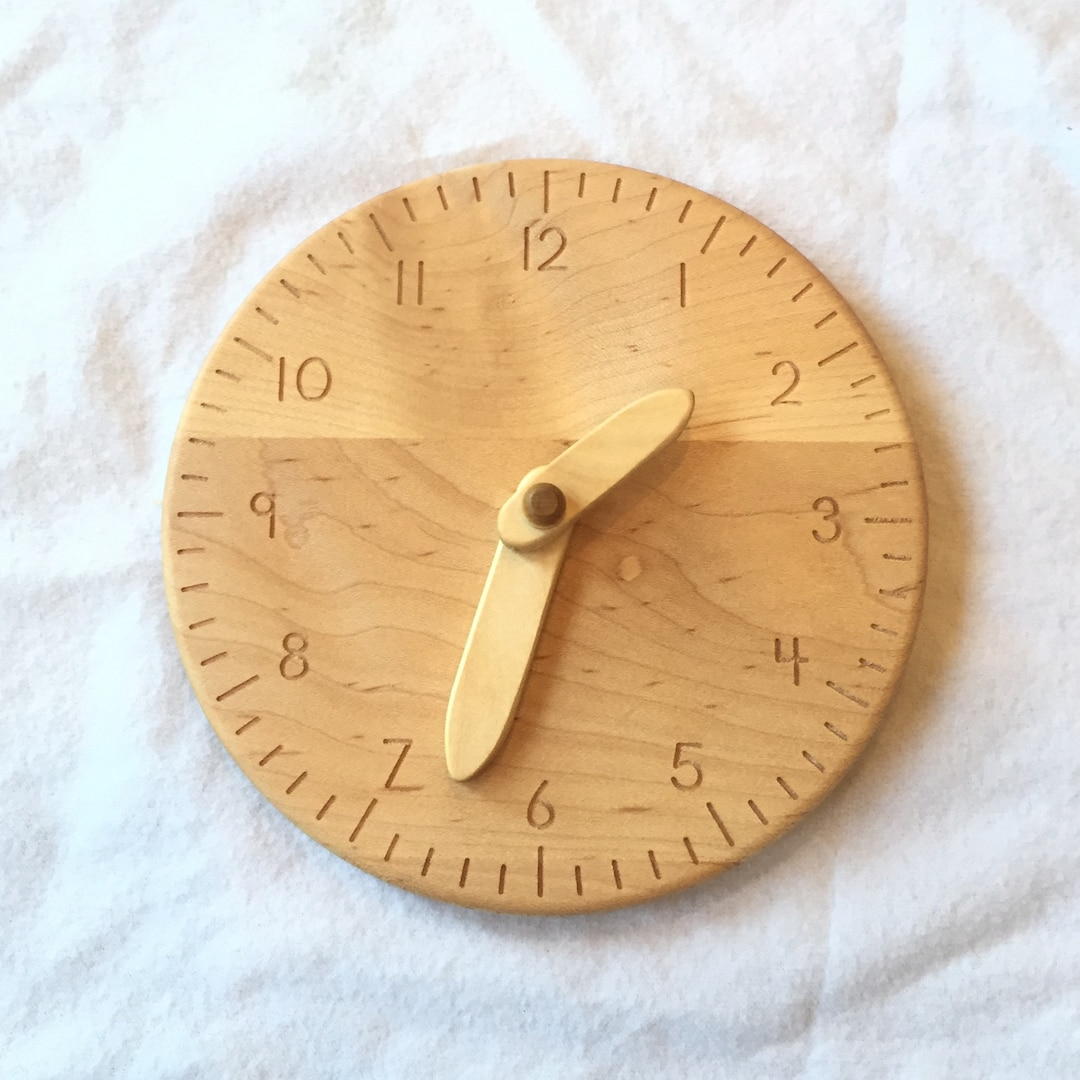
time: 1:32
